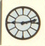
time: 9:12
